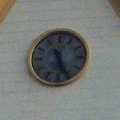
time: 12:26
